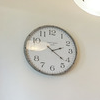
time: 2:21
